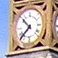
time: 10:37
